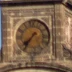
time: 7:36
